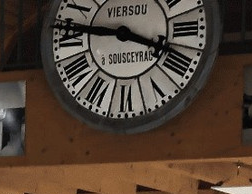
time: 9:18
